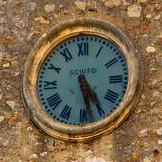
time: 5:24
